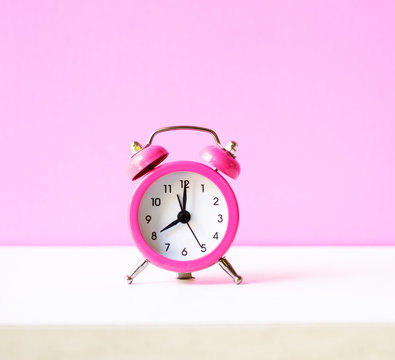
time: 8:00
